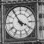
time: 3:54
